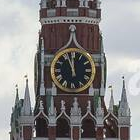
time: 11:56
